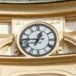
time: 12:45
